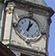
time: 1:01
